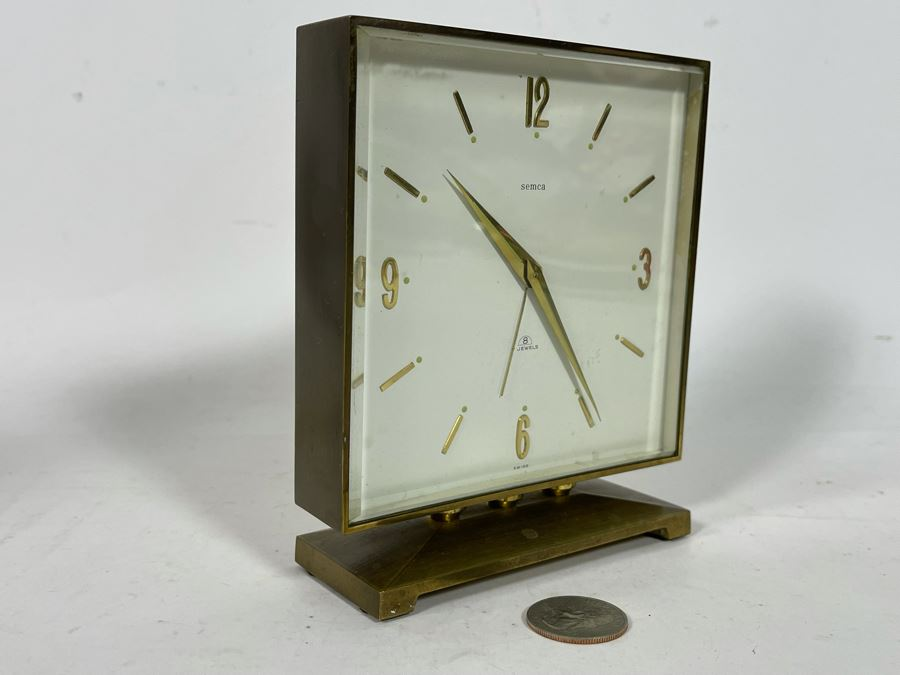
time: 10:24
